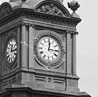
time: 12:14
